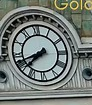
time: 7:41
